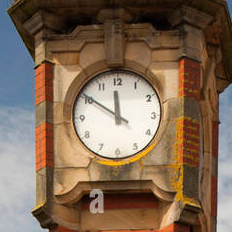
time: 11:50
